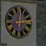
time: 12:13
